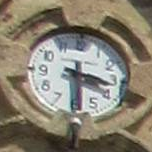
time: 3:29
